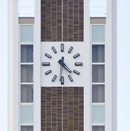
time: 4:31
